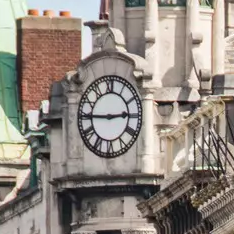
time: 2:45
